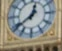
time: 12:38
